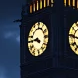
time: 3:45
